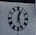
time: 12:26
